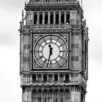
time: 11:32
